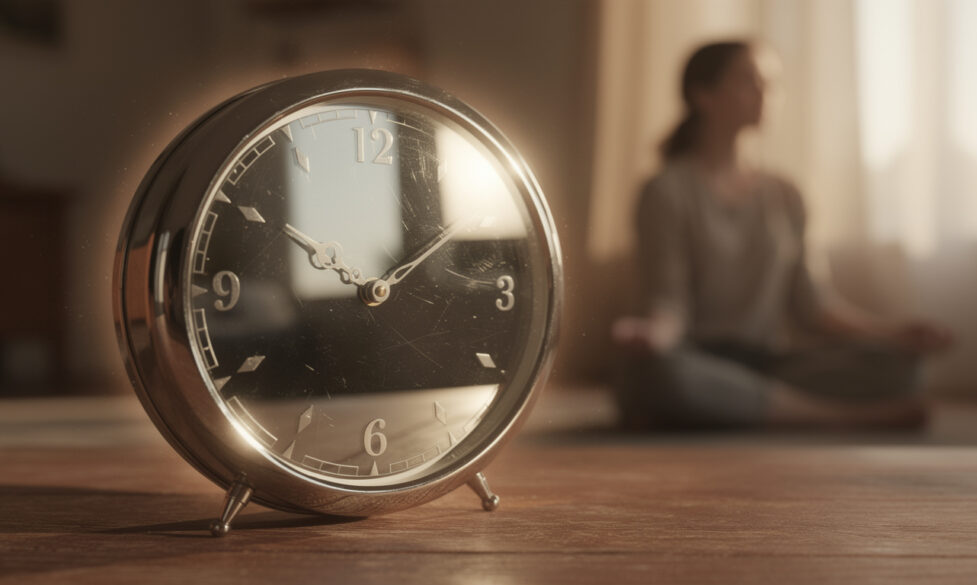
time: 1:50
